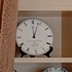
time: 12:03
